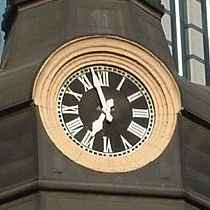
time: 6:57
